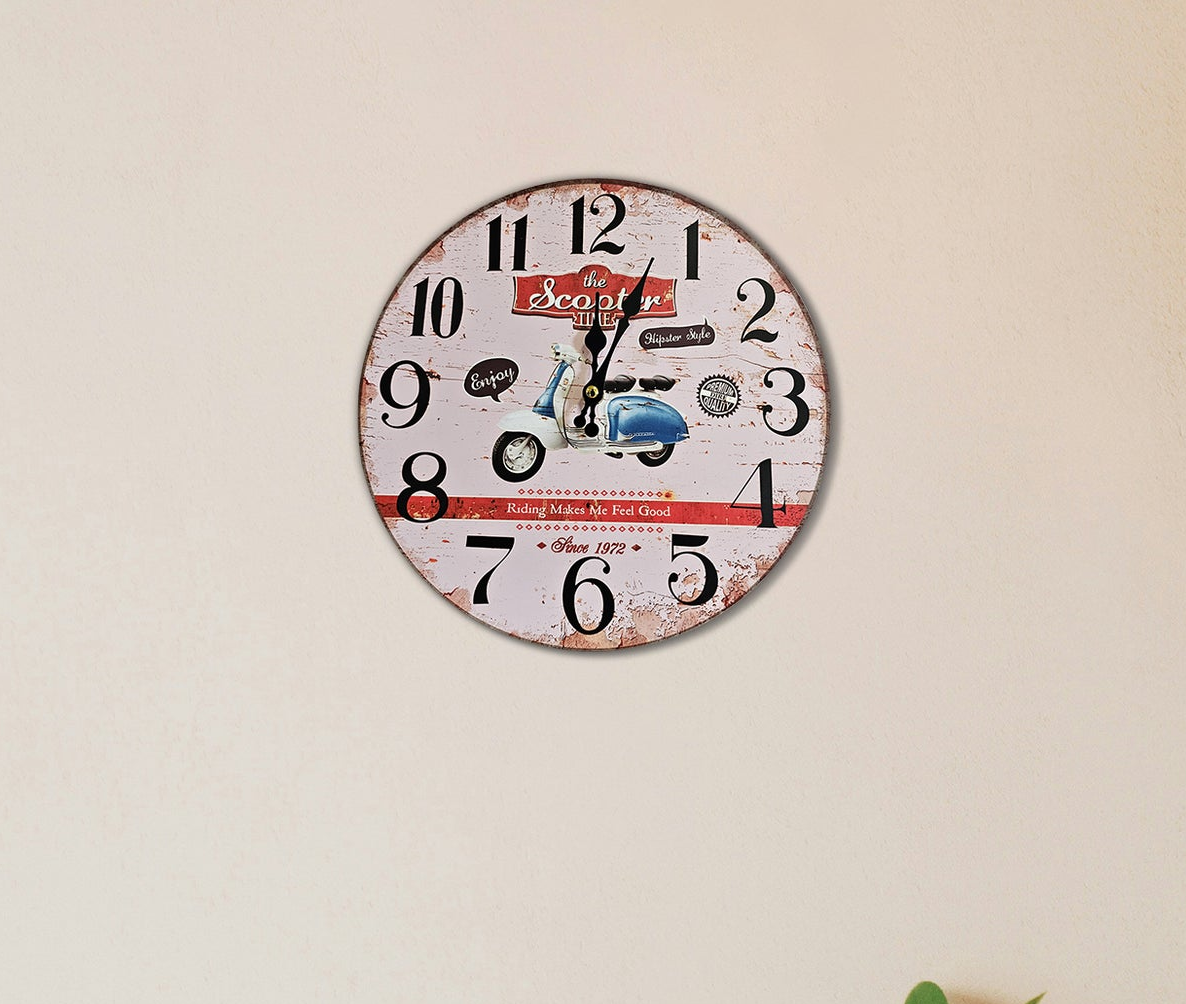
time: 12:03
